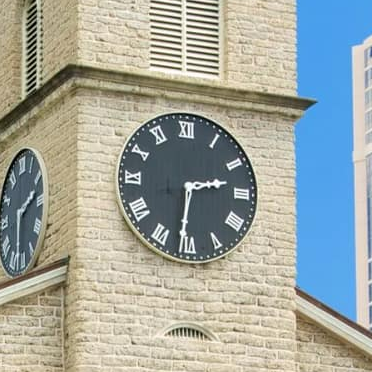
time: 2:31
